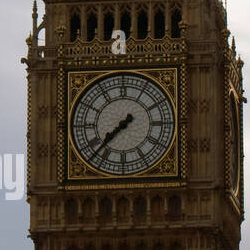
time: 7:37
